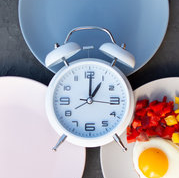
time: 1:00
